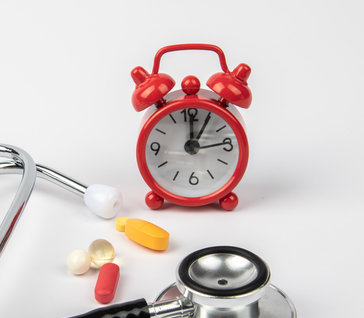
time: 12:05
